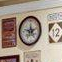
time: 11:46
